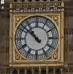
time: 10:51
